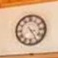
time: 3:24
